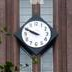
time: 9:48
